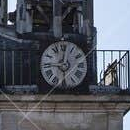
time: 9:01
